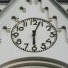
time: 6:03
